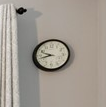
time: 9:42
